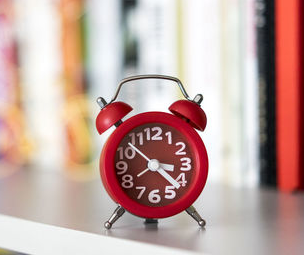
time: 3:22
